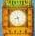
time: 8:27
